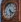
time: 4:28
